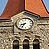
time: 8:36
